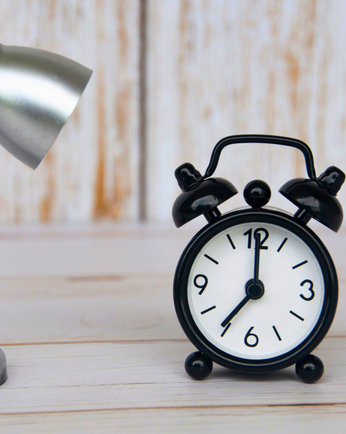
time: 7:00
